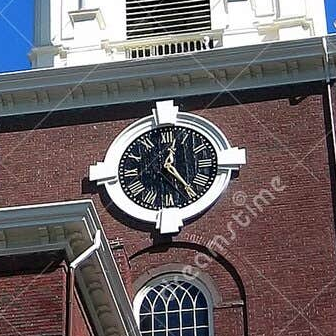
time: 12:23
